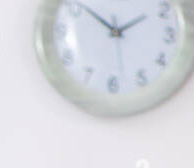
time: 1:51
